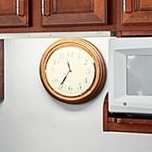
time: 11:35
